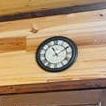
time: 11:10
